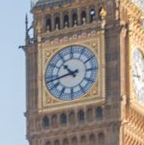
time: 10:43
